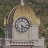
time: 4:29
